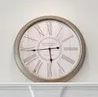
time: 5:44
